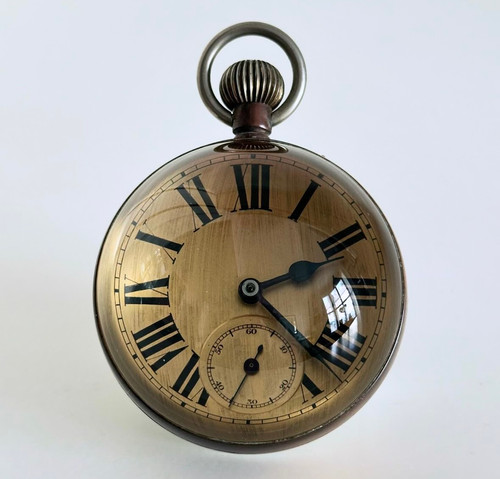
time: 2:21
